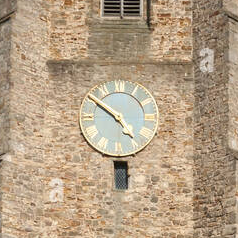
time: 4:50
